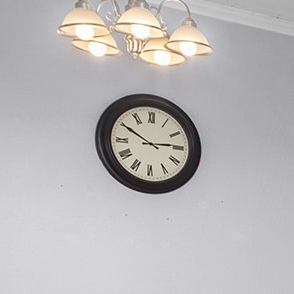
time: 2:50
